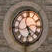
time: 5:21
